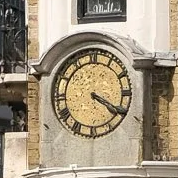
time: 4:19
